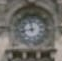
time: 11:42
